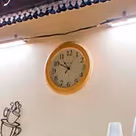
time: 10:50
